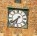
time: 6:38
